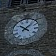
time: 10:07
